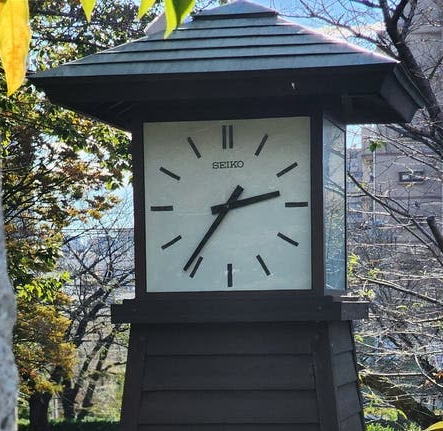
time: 2:36
